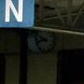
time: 9:42
